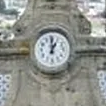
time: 12:59
